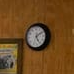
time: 5:09
